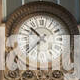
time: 10:37
